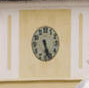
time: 5:26
